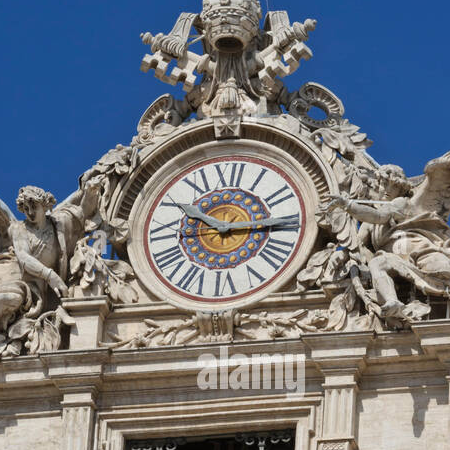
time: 10:14
